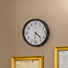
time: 4:31
